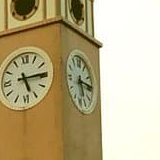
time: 5:14
